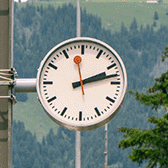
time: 2:12
